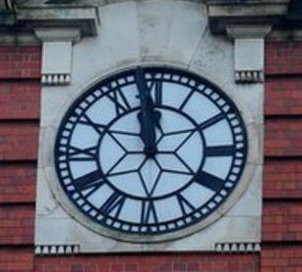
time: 11:58
